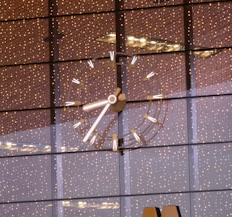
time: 7:15
